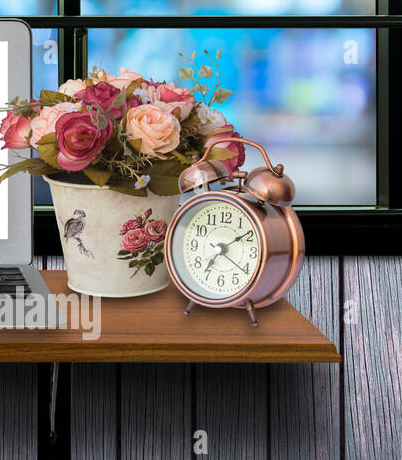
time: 7:09
